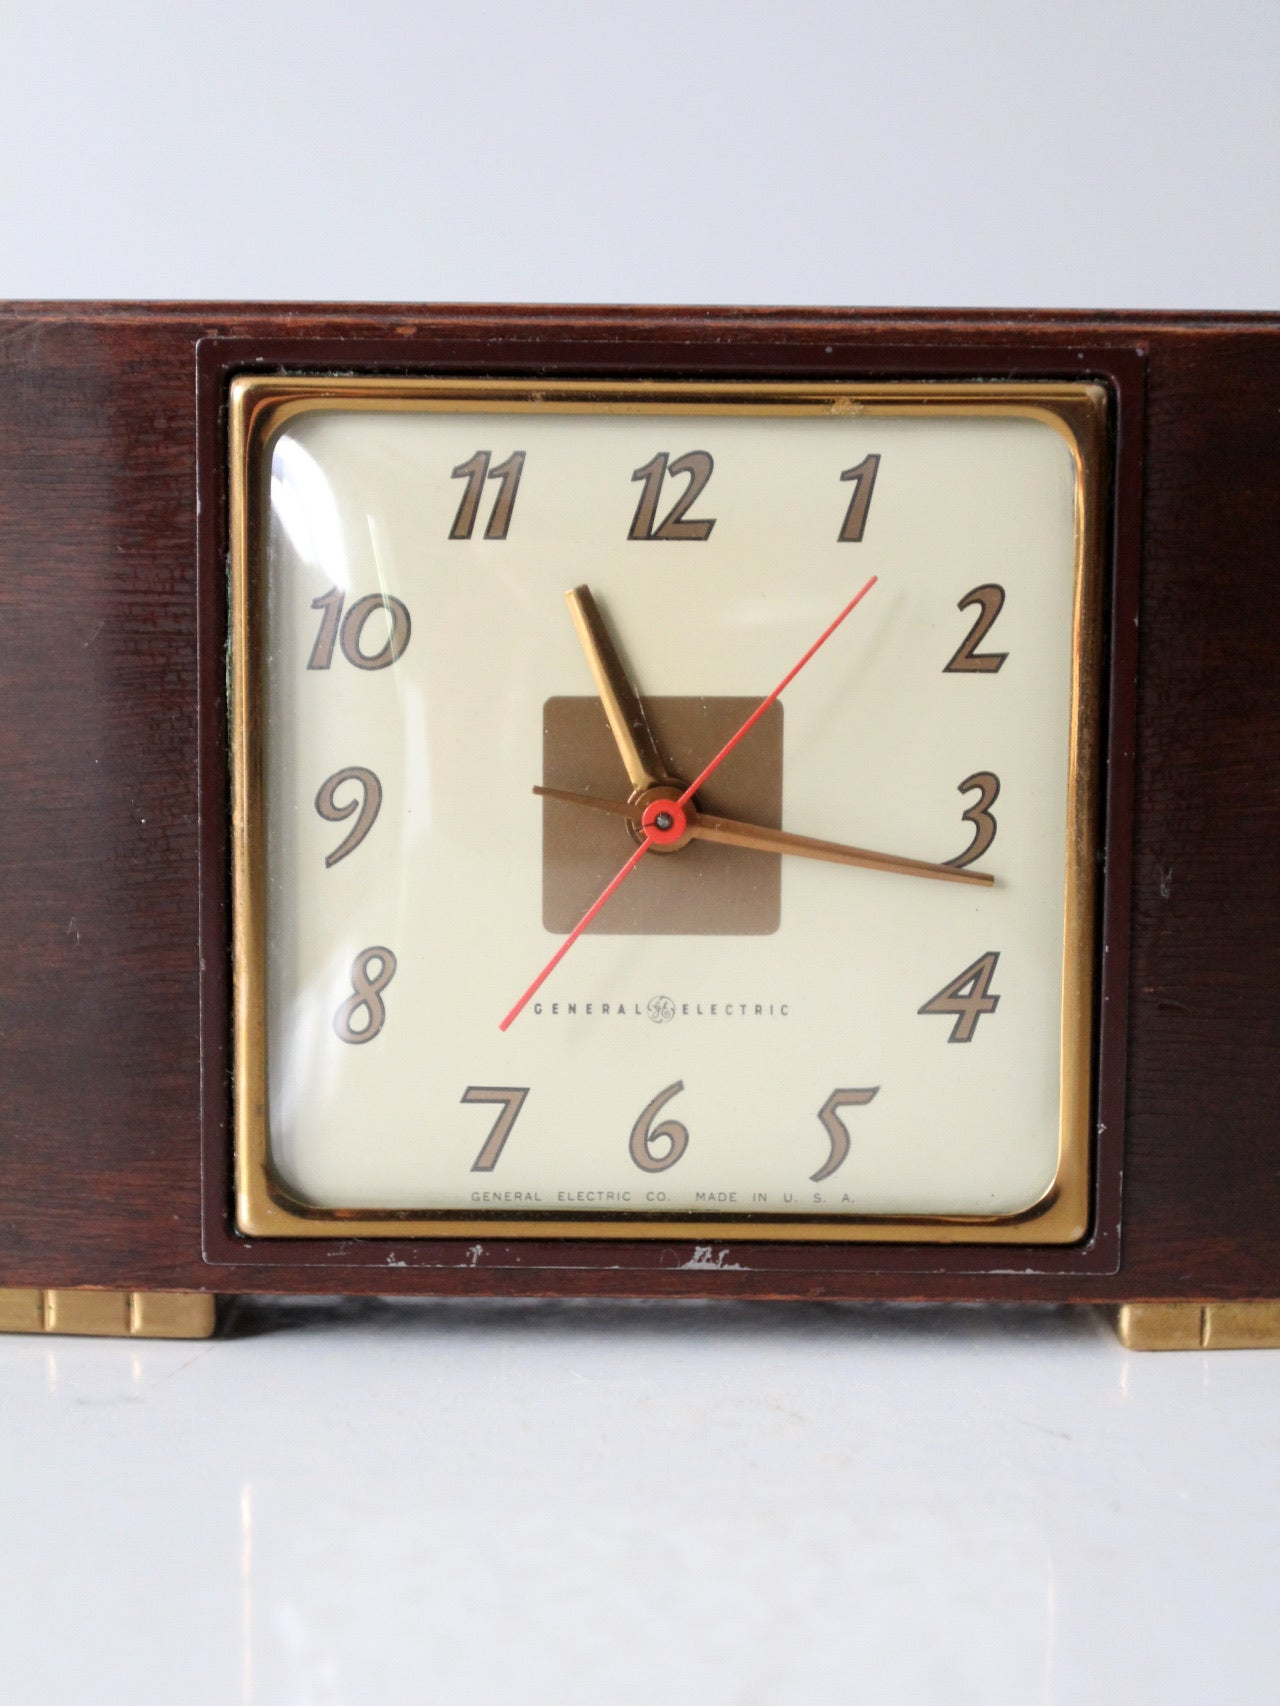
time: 11:17
